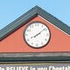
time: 8:08
